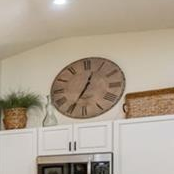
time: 12:34
